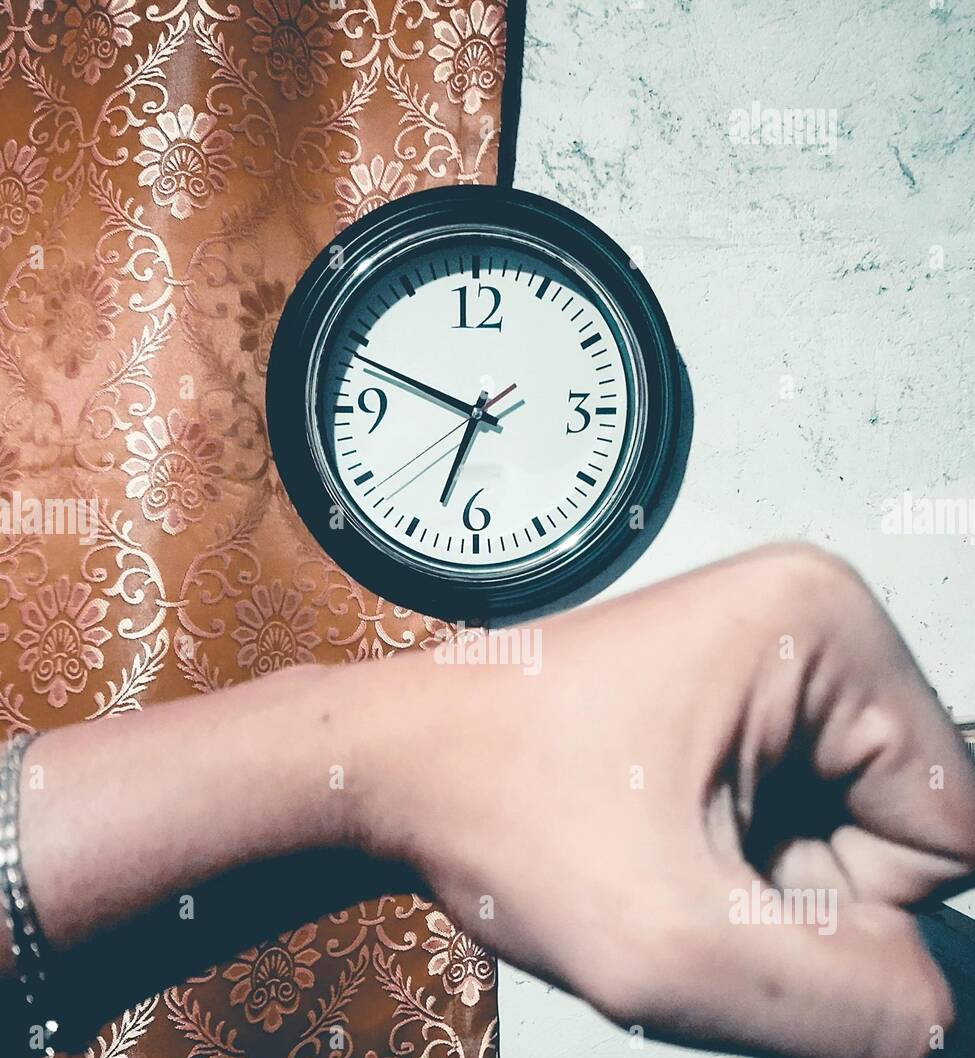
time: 6:48
